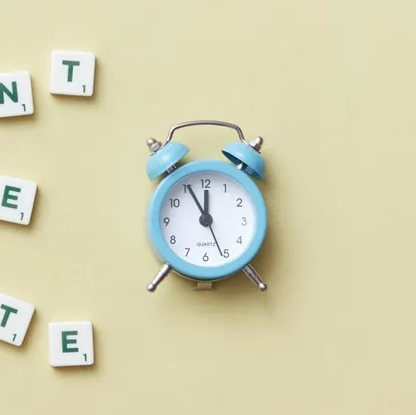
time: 11:55
